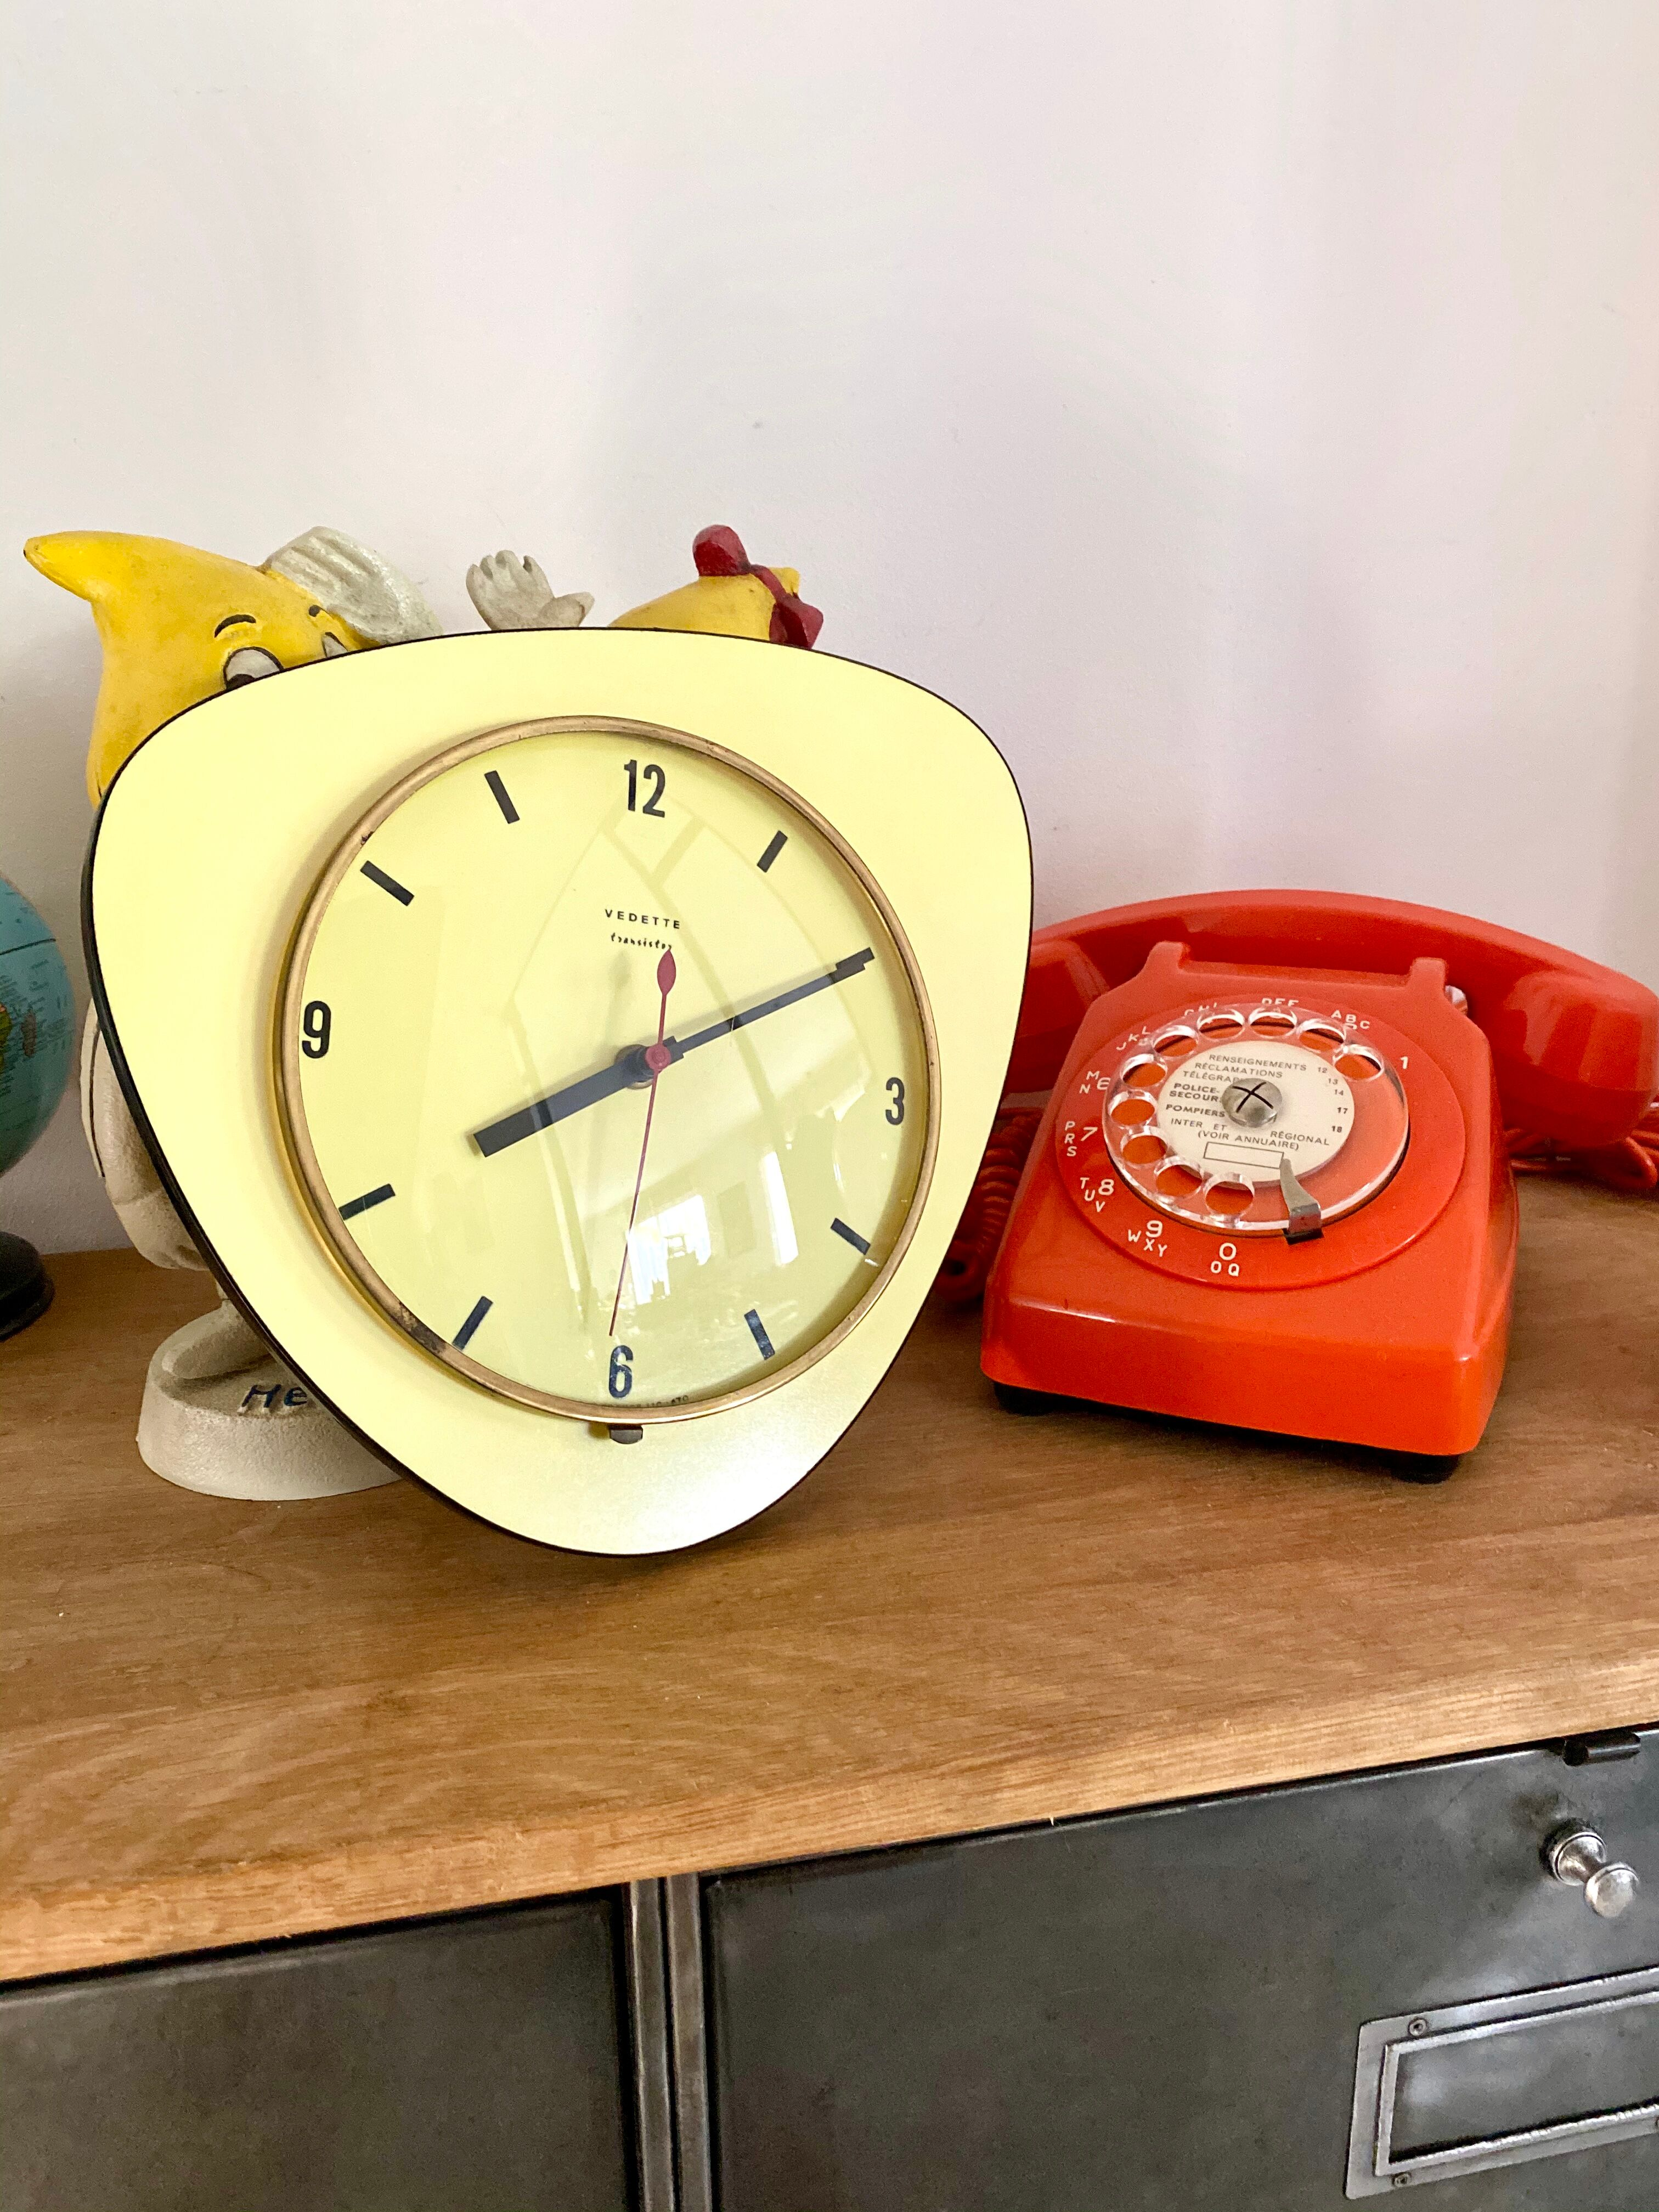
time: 8:10
